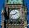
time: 1:43
